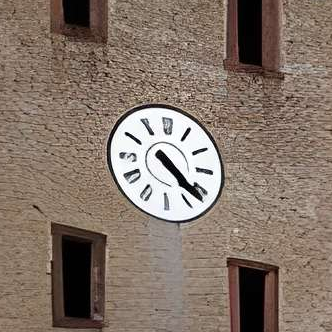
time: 4:21
